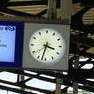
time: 3:32
